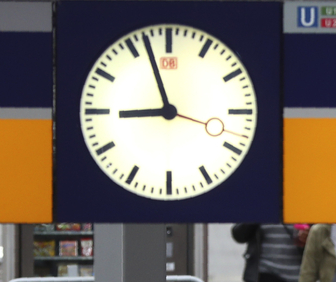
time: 8:57
